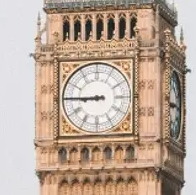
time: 8:45
